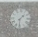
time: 1:31
